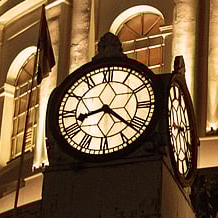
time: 8:21
